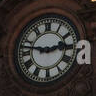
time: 2:47
